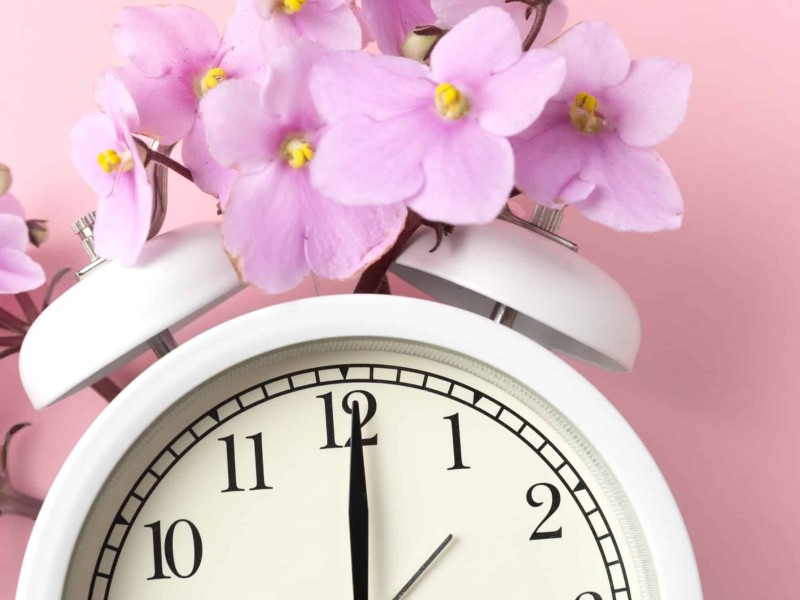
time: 12:00
